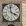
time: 3:58
